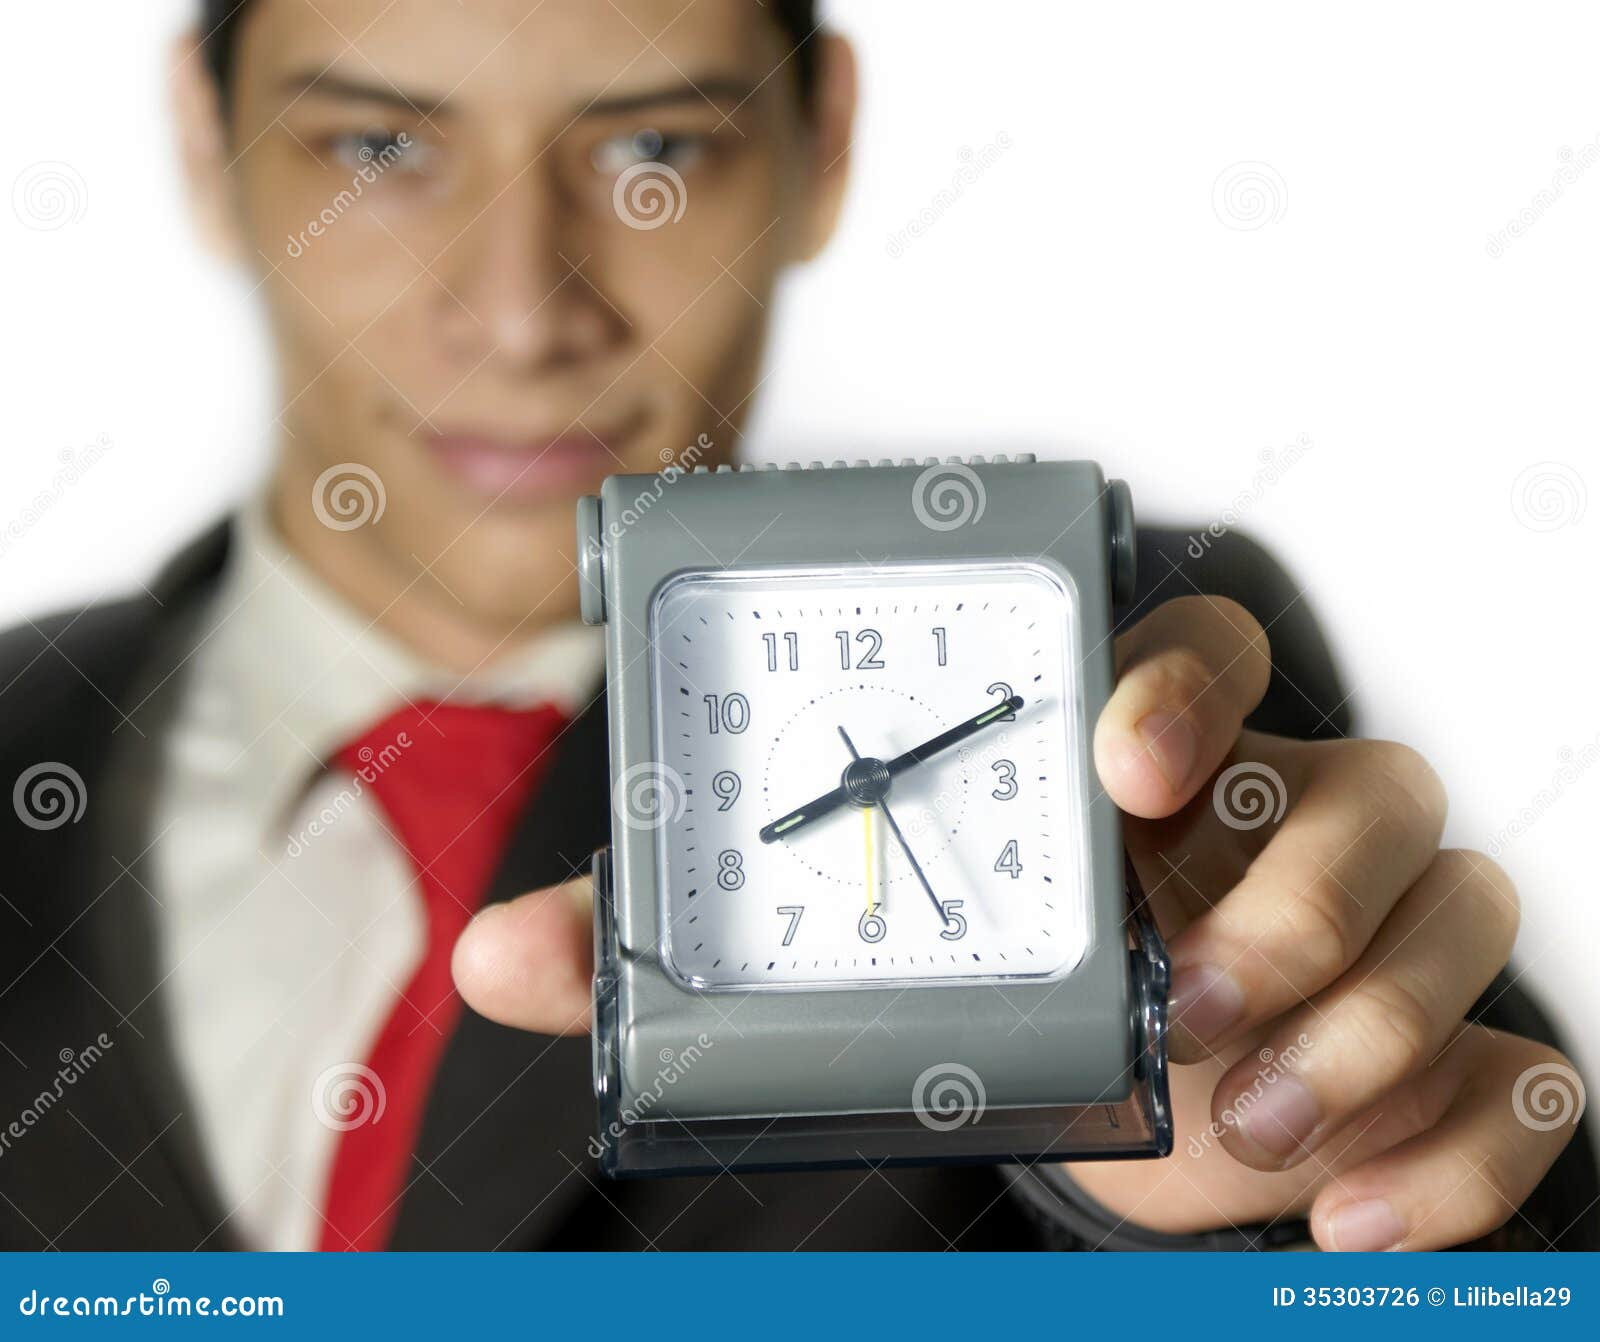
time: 8:10
